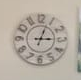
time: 3:03
